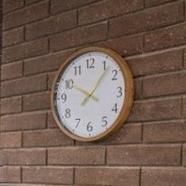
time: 10:06
